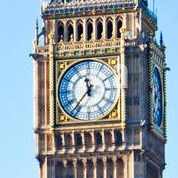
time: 11:36
